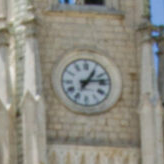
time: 1:13
